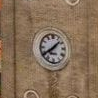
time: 1:39
